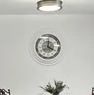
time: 4:00
